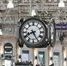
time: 8:25
